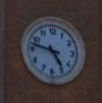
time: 4:47
